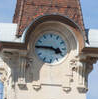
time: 3:45
